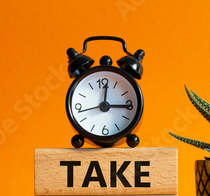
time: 3:01
